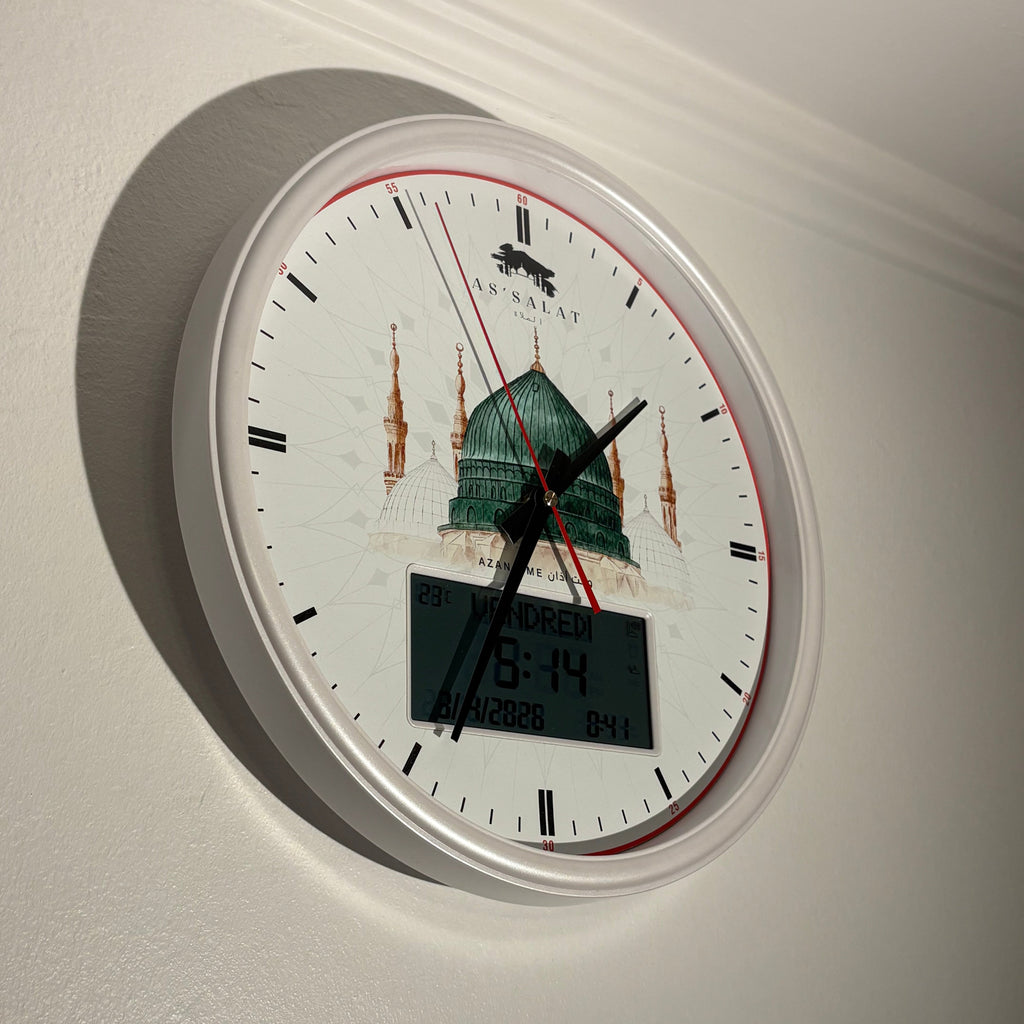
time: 1:34
